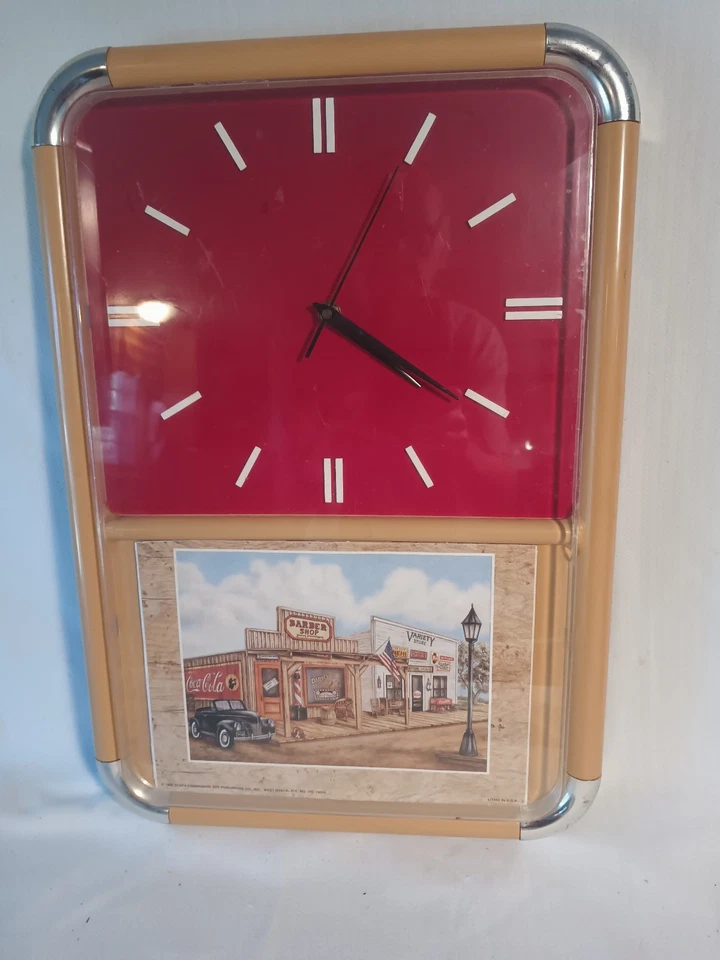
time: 4:20
